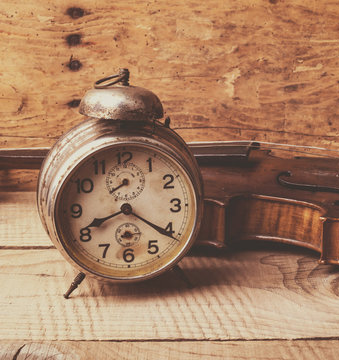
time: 8:20
